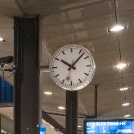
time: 10:07
